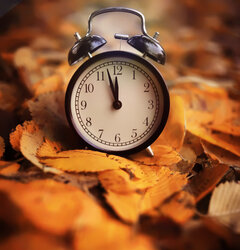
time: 11:57
